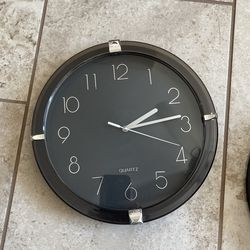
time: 2:13
